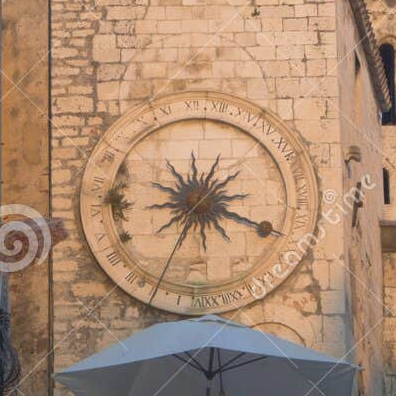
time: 1:18
